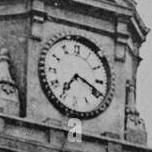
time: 7:18
